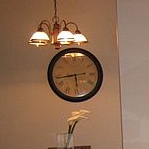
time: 5:43
